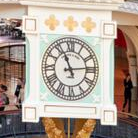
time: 11:13
